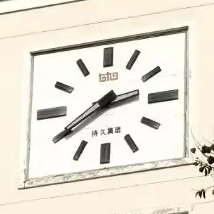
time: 2:38
